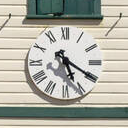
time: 5:20
